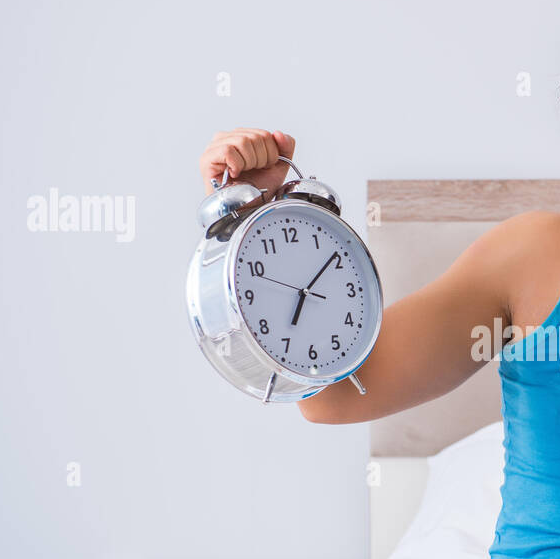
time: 7:09
